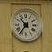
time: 10:36
